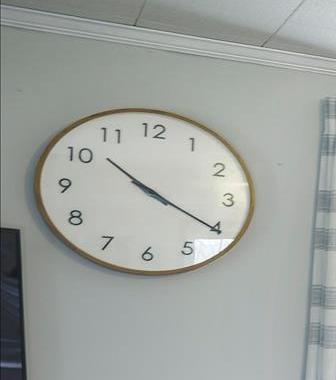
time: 10:20
